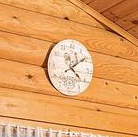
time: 4:08
